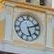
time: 5:11
